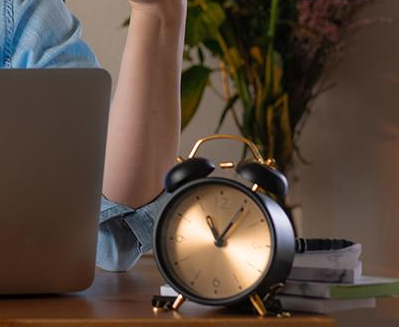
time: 11:06
